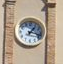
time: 1:16
